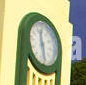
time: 11:28
